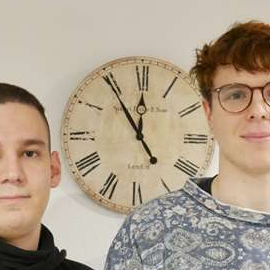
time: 11:54
